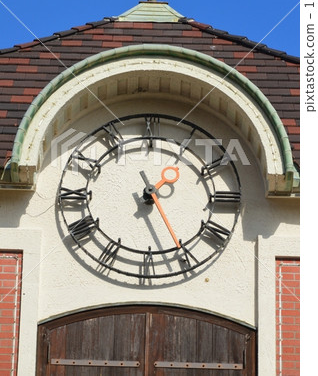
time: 1:26
